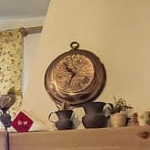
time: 10:34
